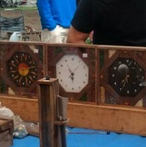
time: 5:54
